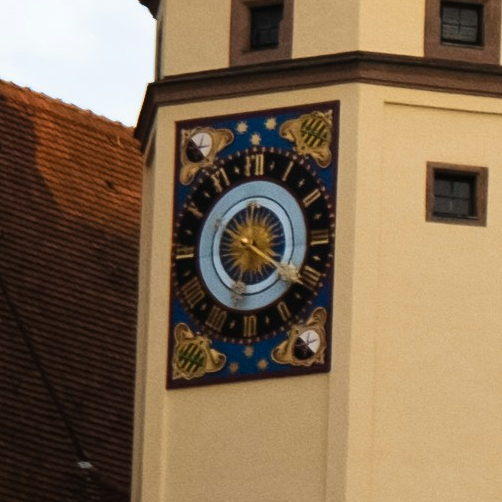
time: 10:20
